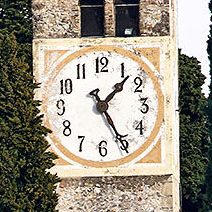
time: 1:25
